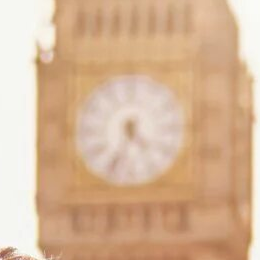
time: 4:33
